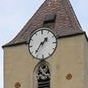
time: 1:36
